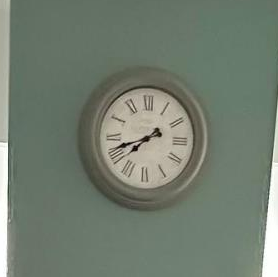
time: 7:41
